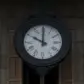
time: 10:00
